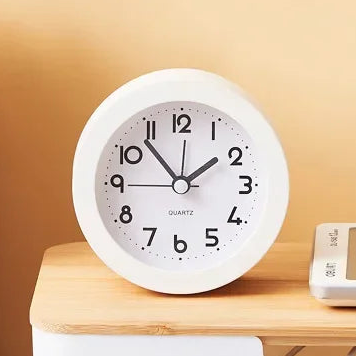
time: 1:53
